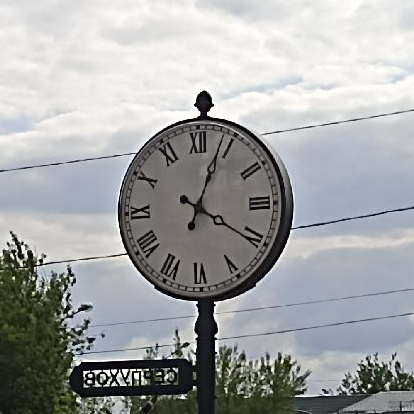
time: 4:03
